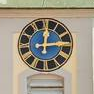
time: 12:14
